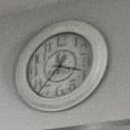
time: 3:37
